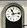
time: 11:13
